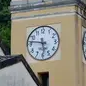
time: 5:46
